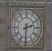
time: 2:30
